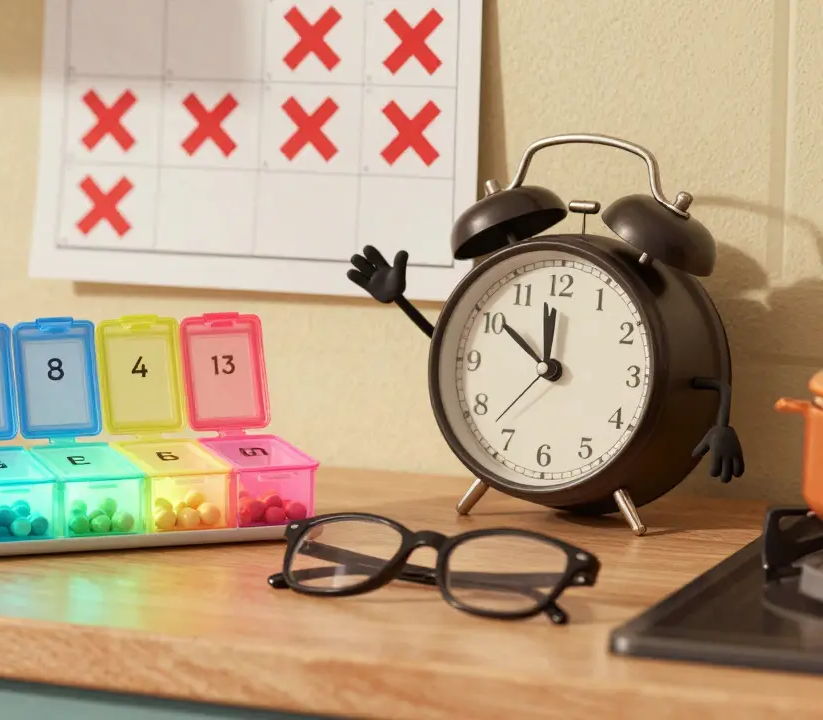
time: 11:50
